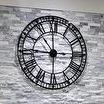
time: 11:45
